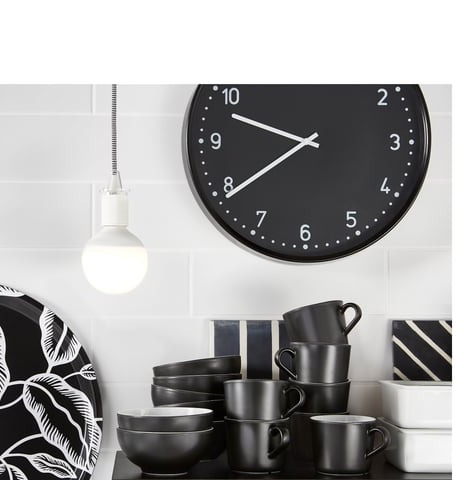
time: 9:39
